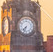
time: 7:33
